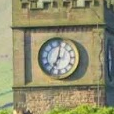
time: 7:01
